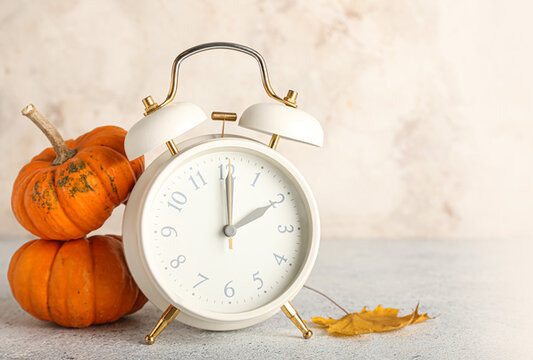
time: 2:00
